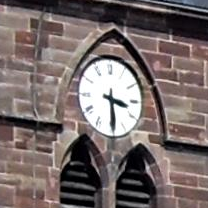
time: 3:29
